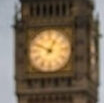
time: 12:49
